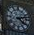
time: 4:12
